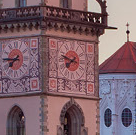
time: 7:48
